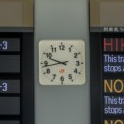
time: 9:43
